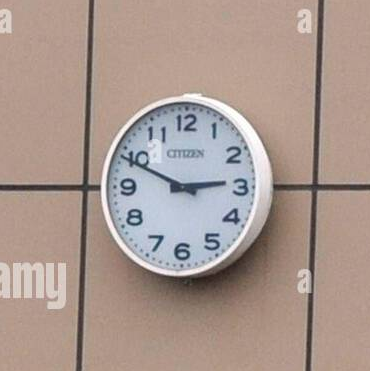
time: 2:49
